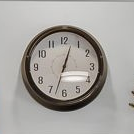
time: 12:32
